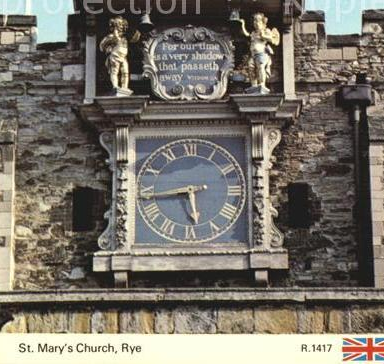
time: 5:43
